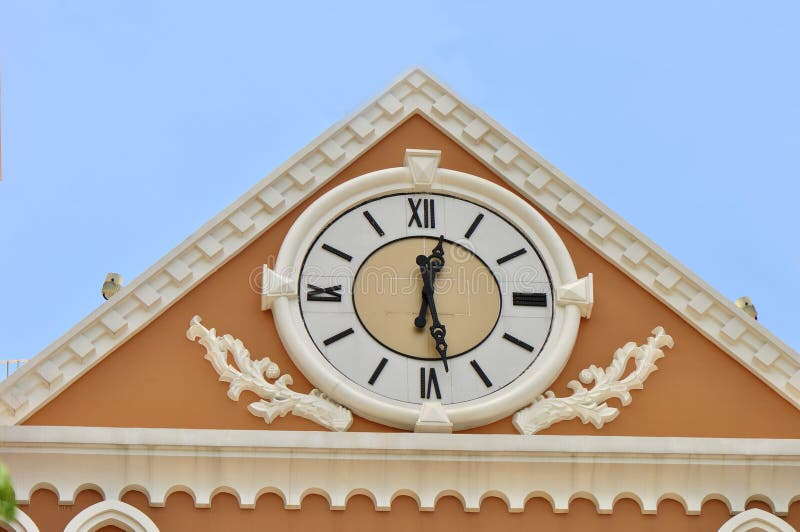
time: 12:28
